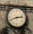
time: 2:41
